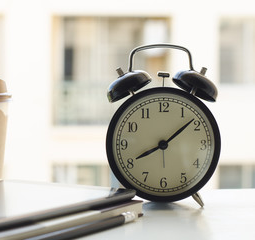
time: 8:08
